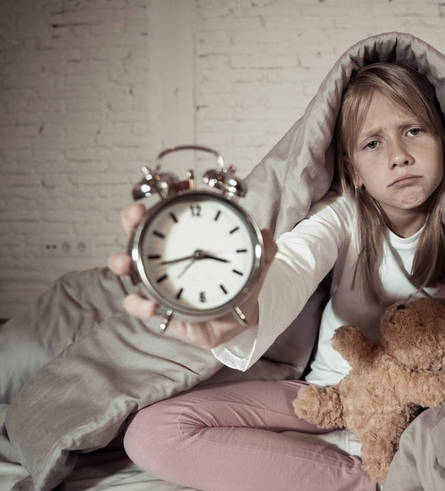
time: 3:43
